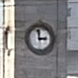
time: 2:58
